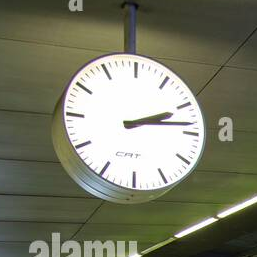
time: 2:13
